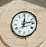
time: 12:13
